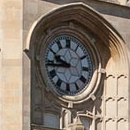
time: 9:43
